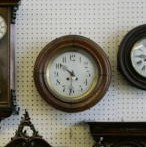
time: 10:31
